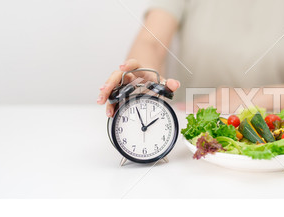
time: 1:57
